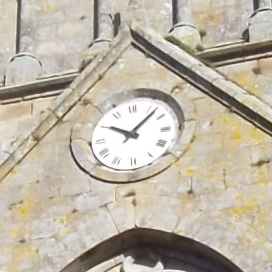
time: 10:07
